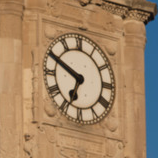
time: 6:49
